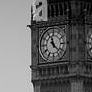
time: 11:22
